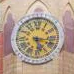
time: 5:17
